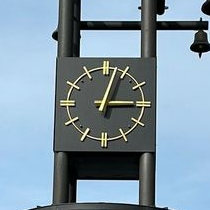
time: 3:03
